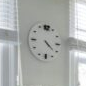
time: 4:21
